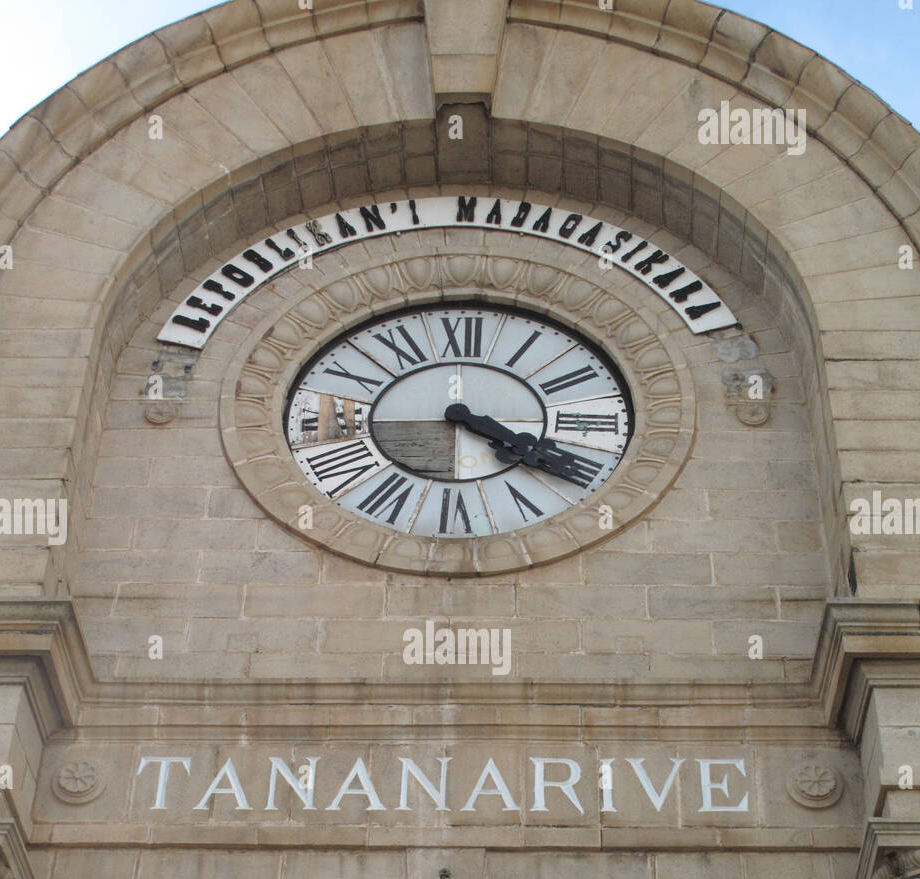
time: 4:19
